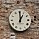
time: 1:00
